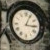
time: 3:04
